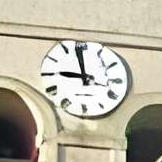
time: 8:58
